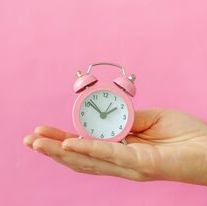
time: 1:51
